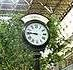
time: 8:45
